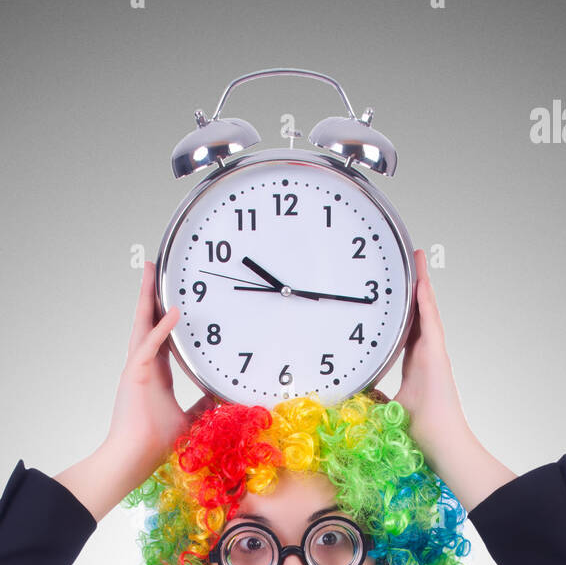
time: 10:16
